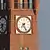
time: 7:25
